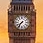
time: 7:36
